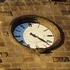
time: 4:21
